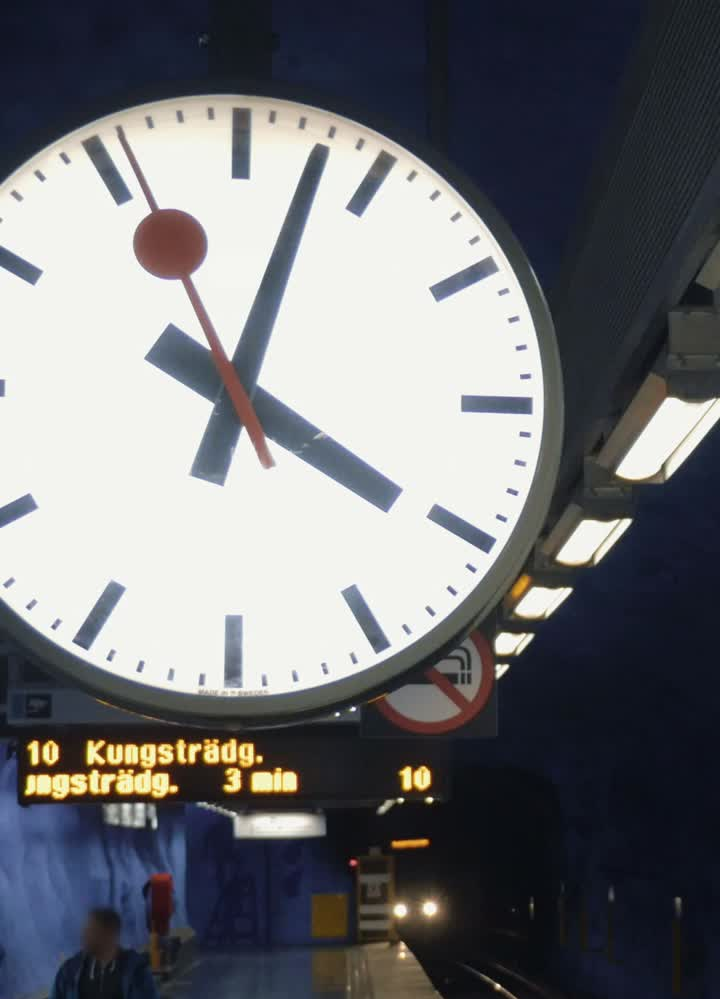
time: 4:02
